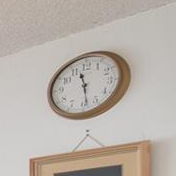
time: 11:28
